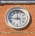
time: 11:44
